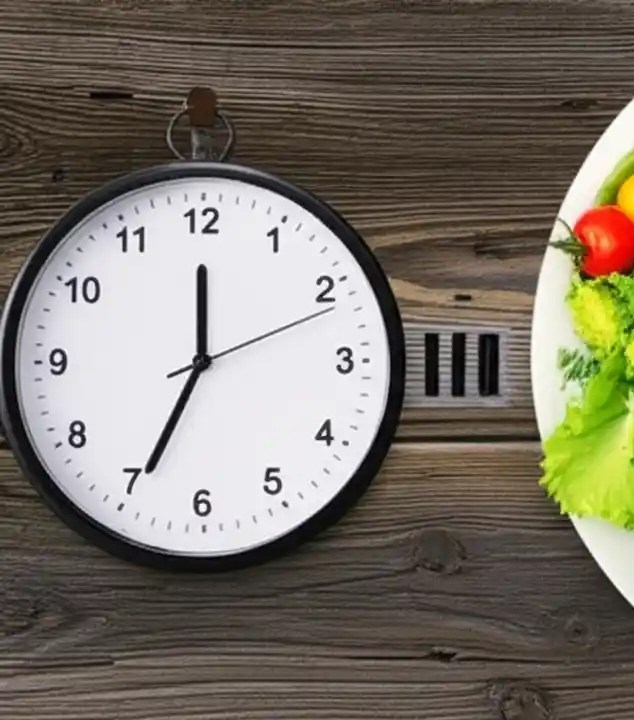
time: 11:34
